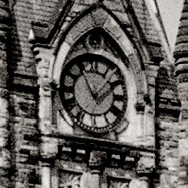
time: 11:07
